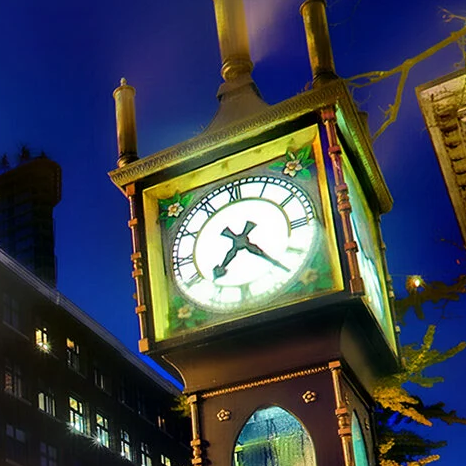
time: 7:23
